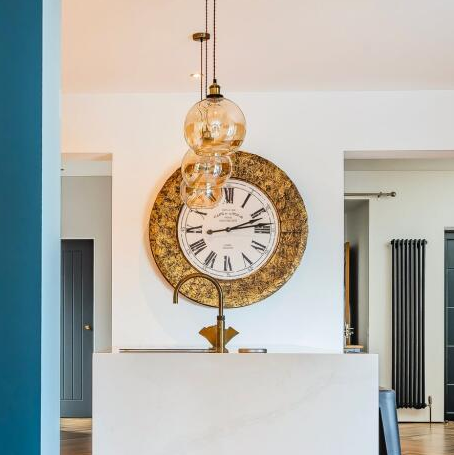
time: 2:12
